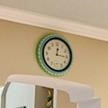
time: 12:15
